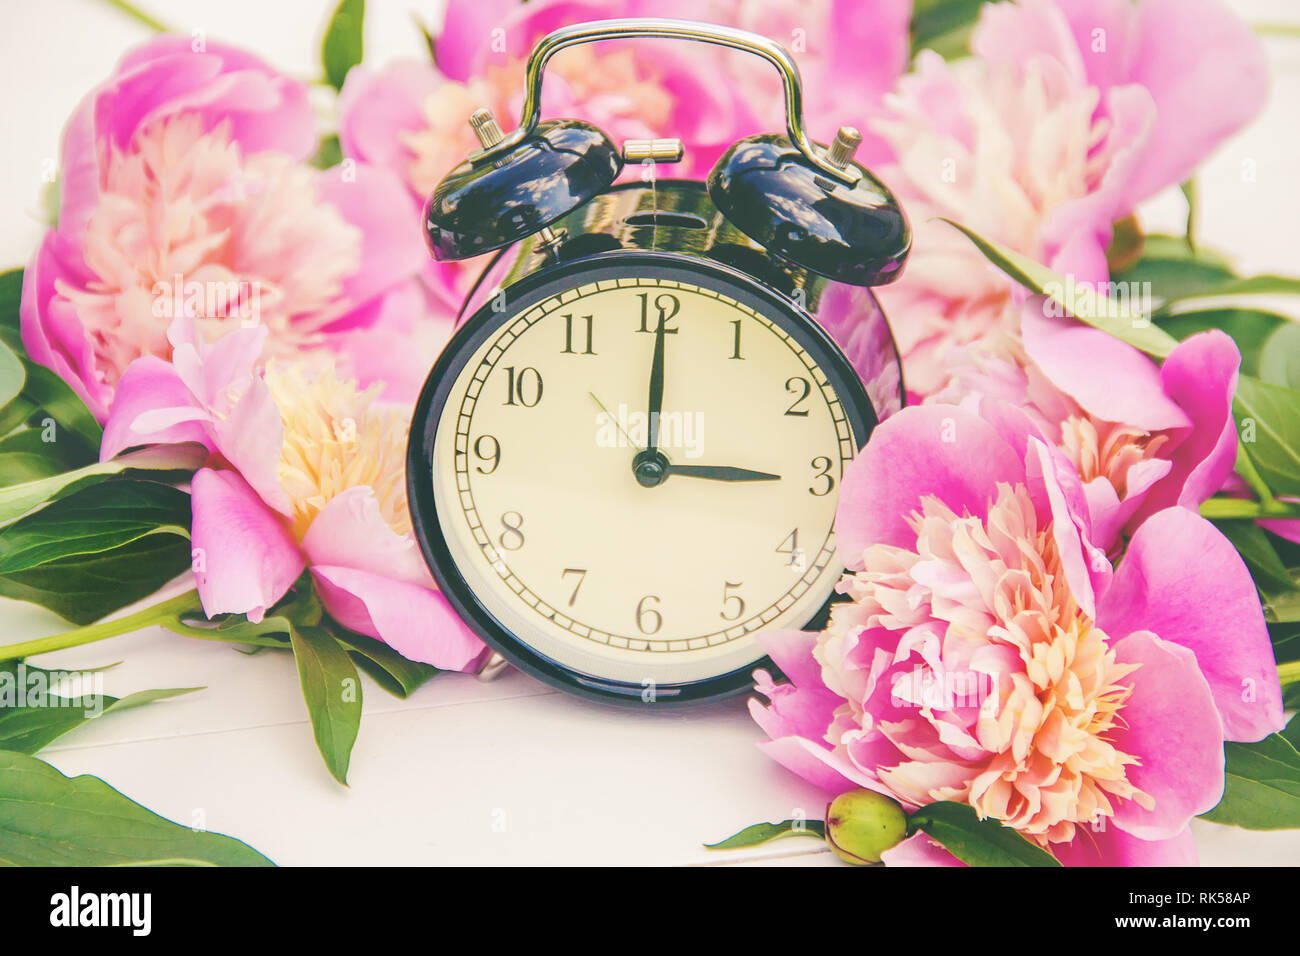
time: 3:00
